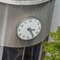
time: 3:24
